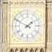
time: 1:49
